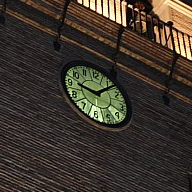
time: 9:07
